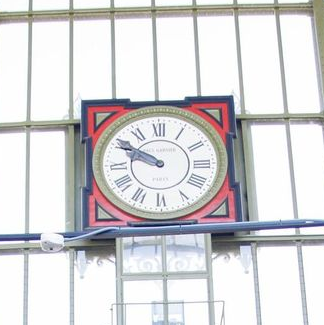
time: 9:50
